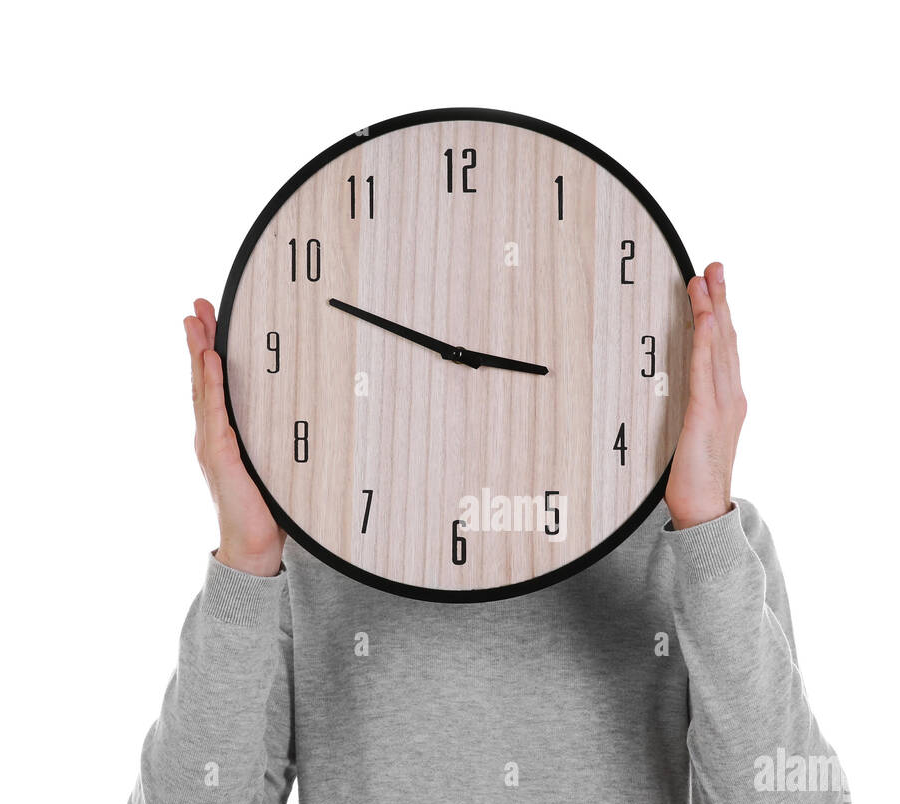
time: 9:48
